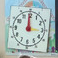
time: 2:59
